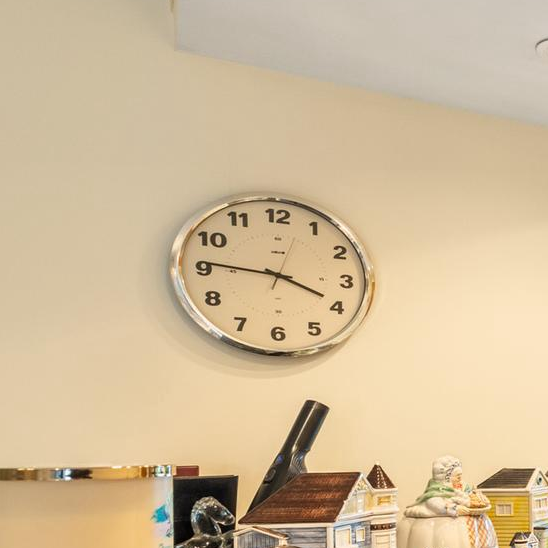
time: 3:46
